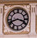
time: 3:41
